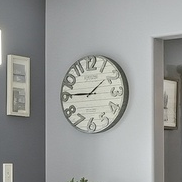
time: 1:45
